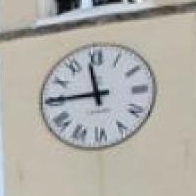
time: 11:45
